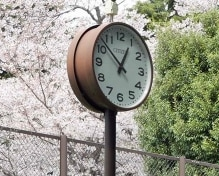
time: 12:52
